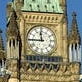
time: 11:45
